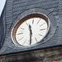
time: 11:29
